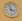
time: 3:58
